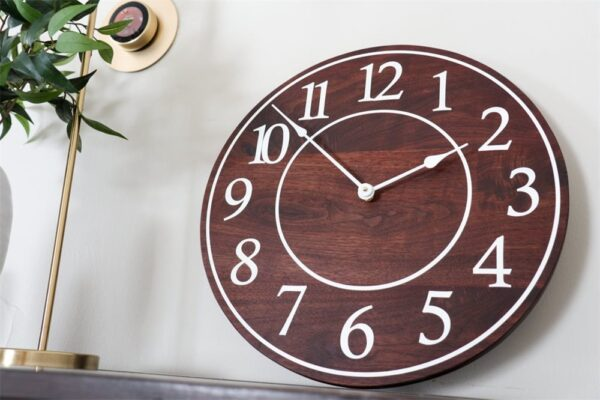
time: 1:52
